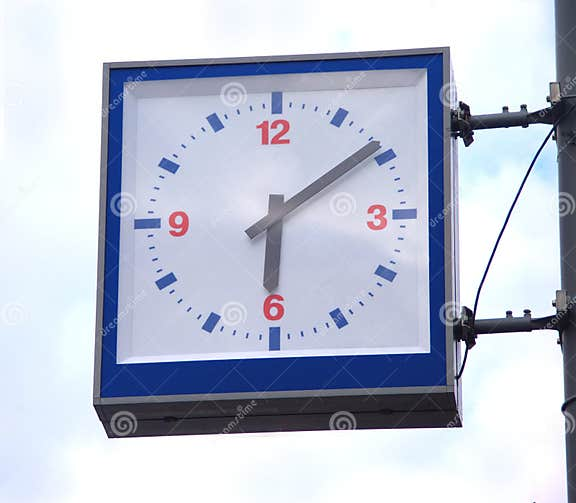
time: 6:08
